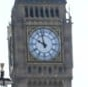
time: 9:57
